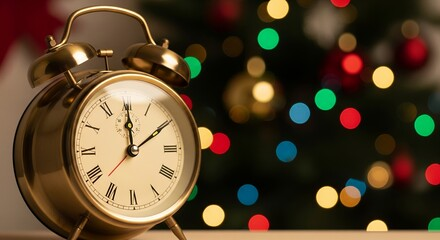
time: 12:09
